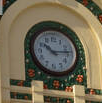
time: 10:13
